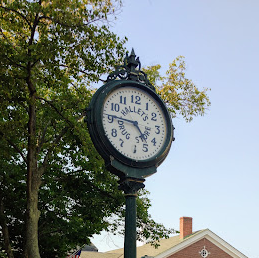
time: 4:46
